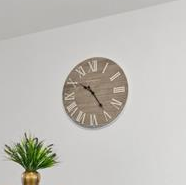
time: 10:24
